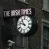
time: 10:47
